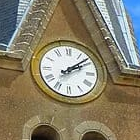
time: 2:08
